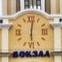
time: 6:01
